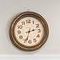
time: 2:33
